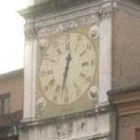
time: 12:32
